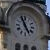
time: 4:56
